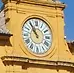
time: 10:55
